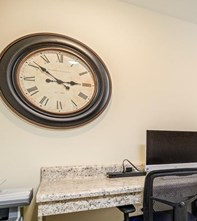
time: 2:51
